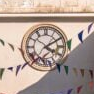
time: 4:09
